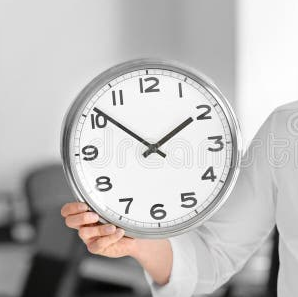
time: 1:51
